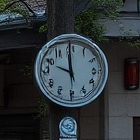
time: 9:59
